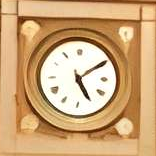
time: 5:09
